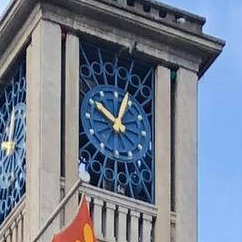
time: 12:48
